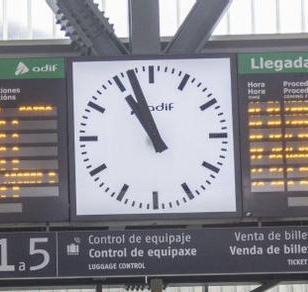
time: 10:56
